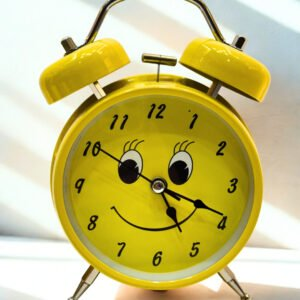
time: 5:19
